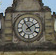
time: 1:53
